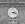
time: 2:18
